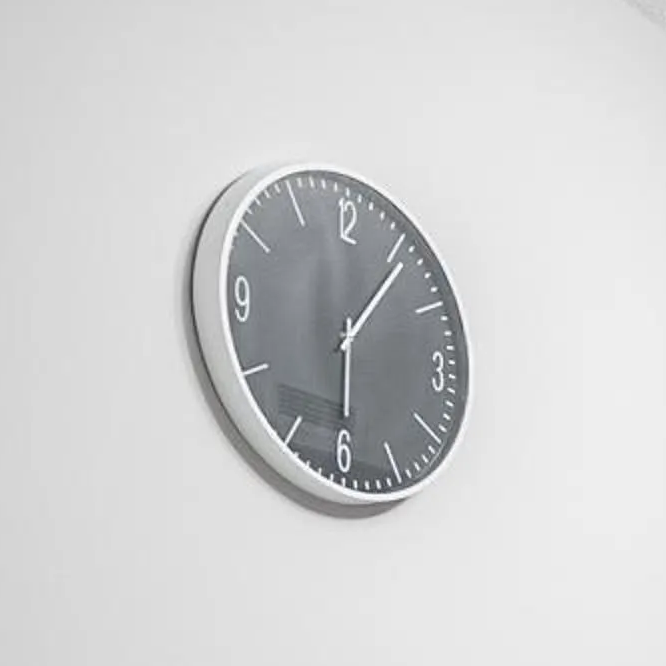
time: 6:06
